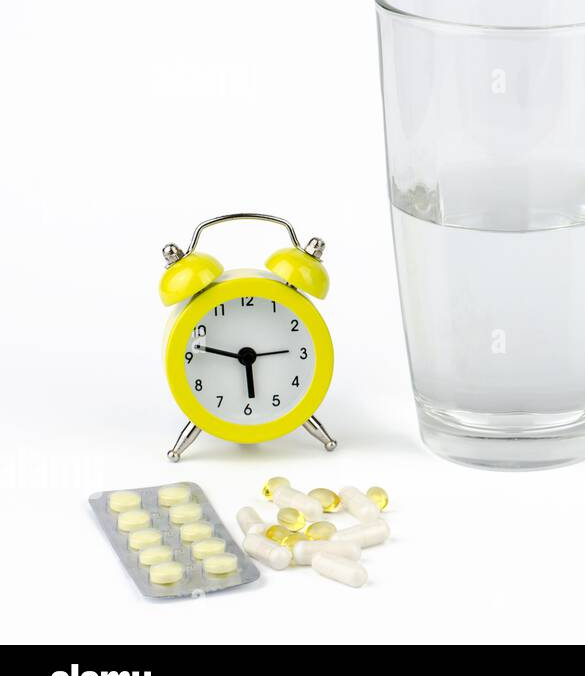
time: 5:47
